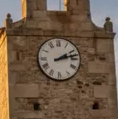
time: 2:12
